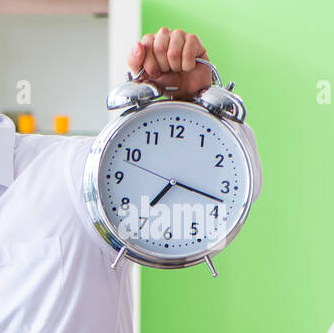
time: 7:17
